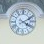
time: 4:10
